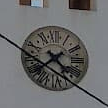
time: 4:38
